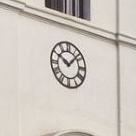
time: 10:07
